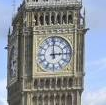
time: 2:59
